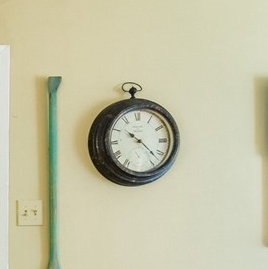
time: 10:22
